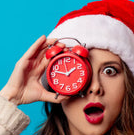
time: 1:47
